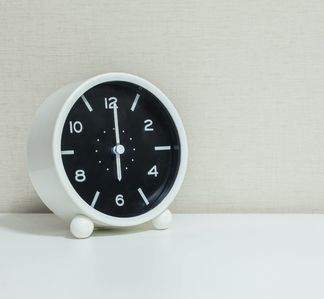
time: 6:00
